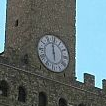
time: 5:59
